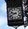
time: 9:41
